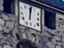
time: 12:01
